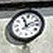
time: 11:10
